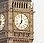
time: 7:00
